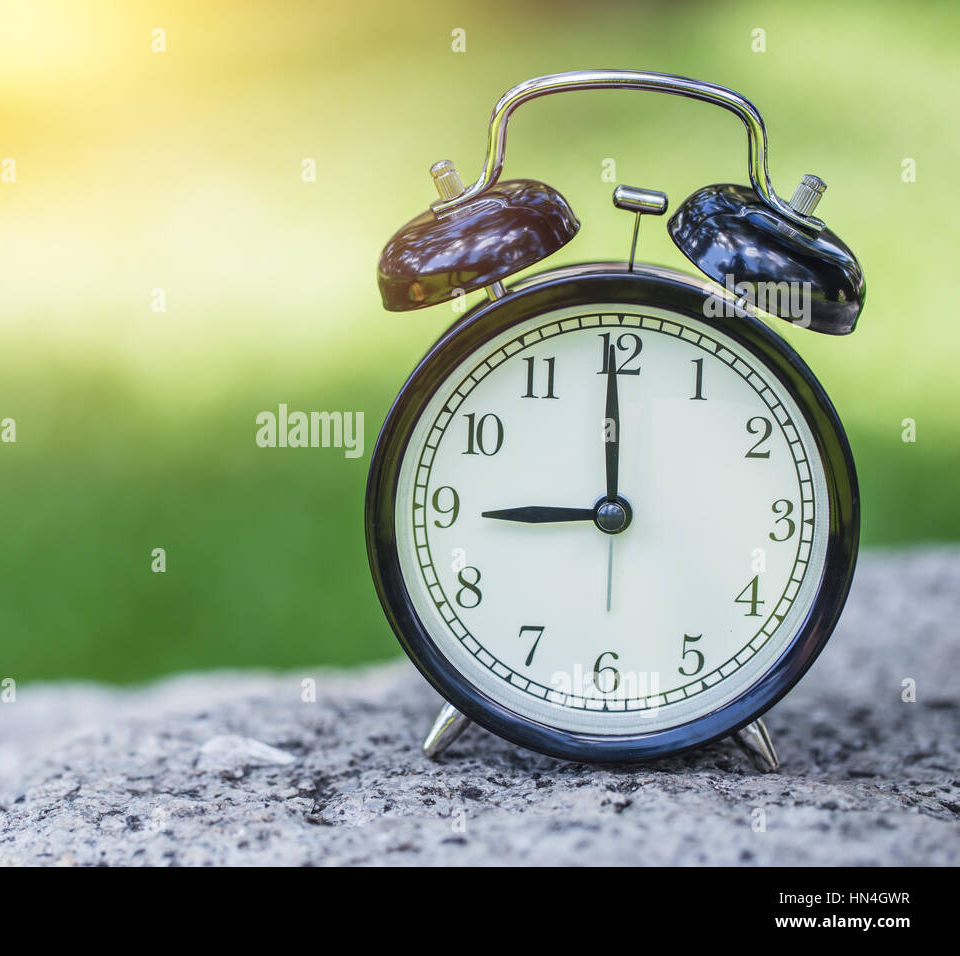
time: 8:59
